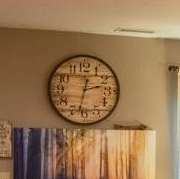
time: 2:32
